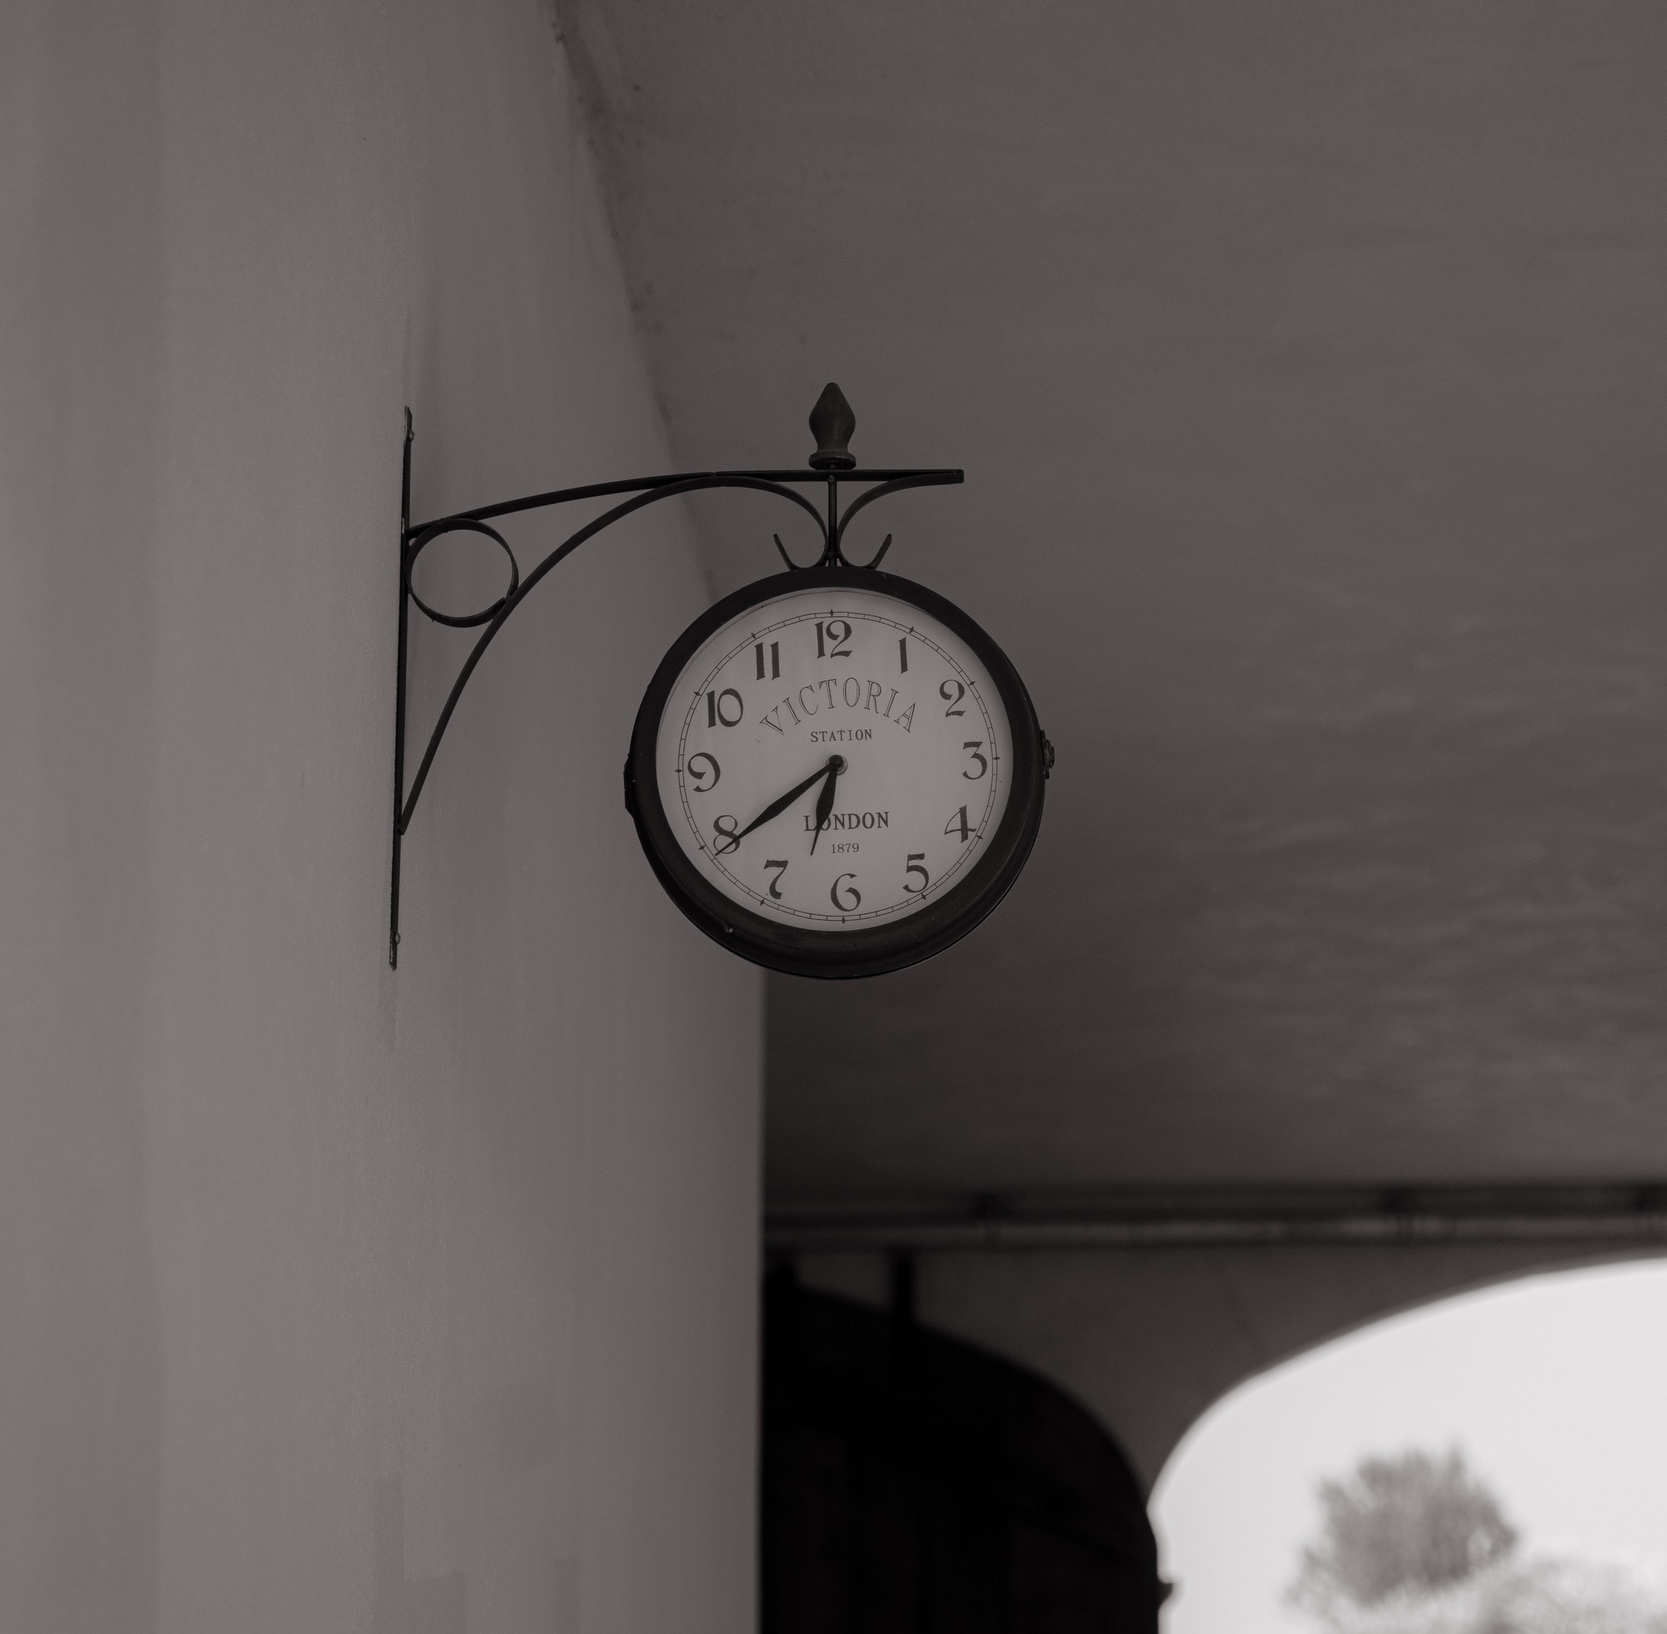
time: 6:39
